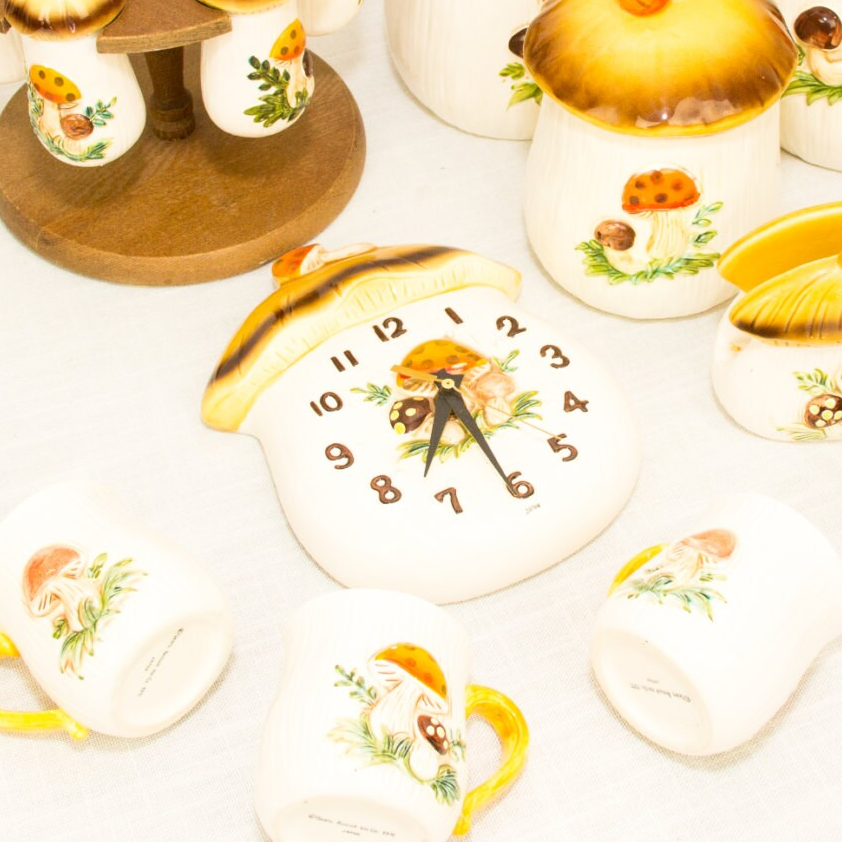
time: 6:25
